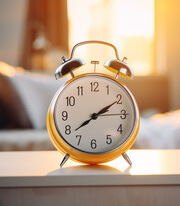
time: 2:09
